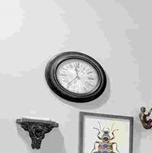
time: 11:36
